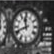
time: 11:41
